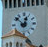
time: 12:52
